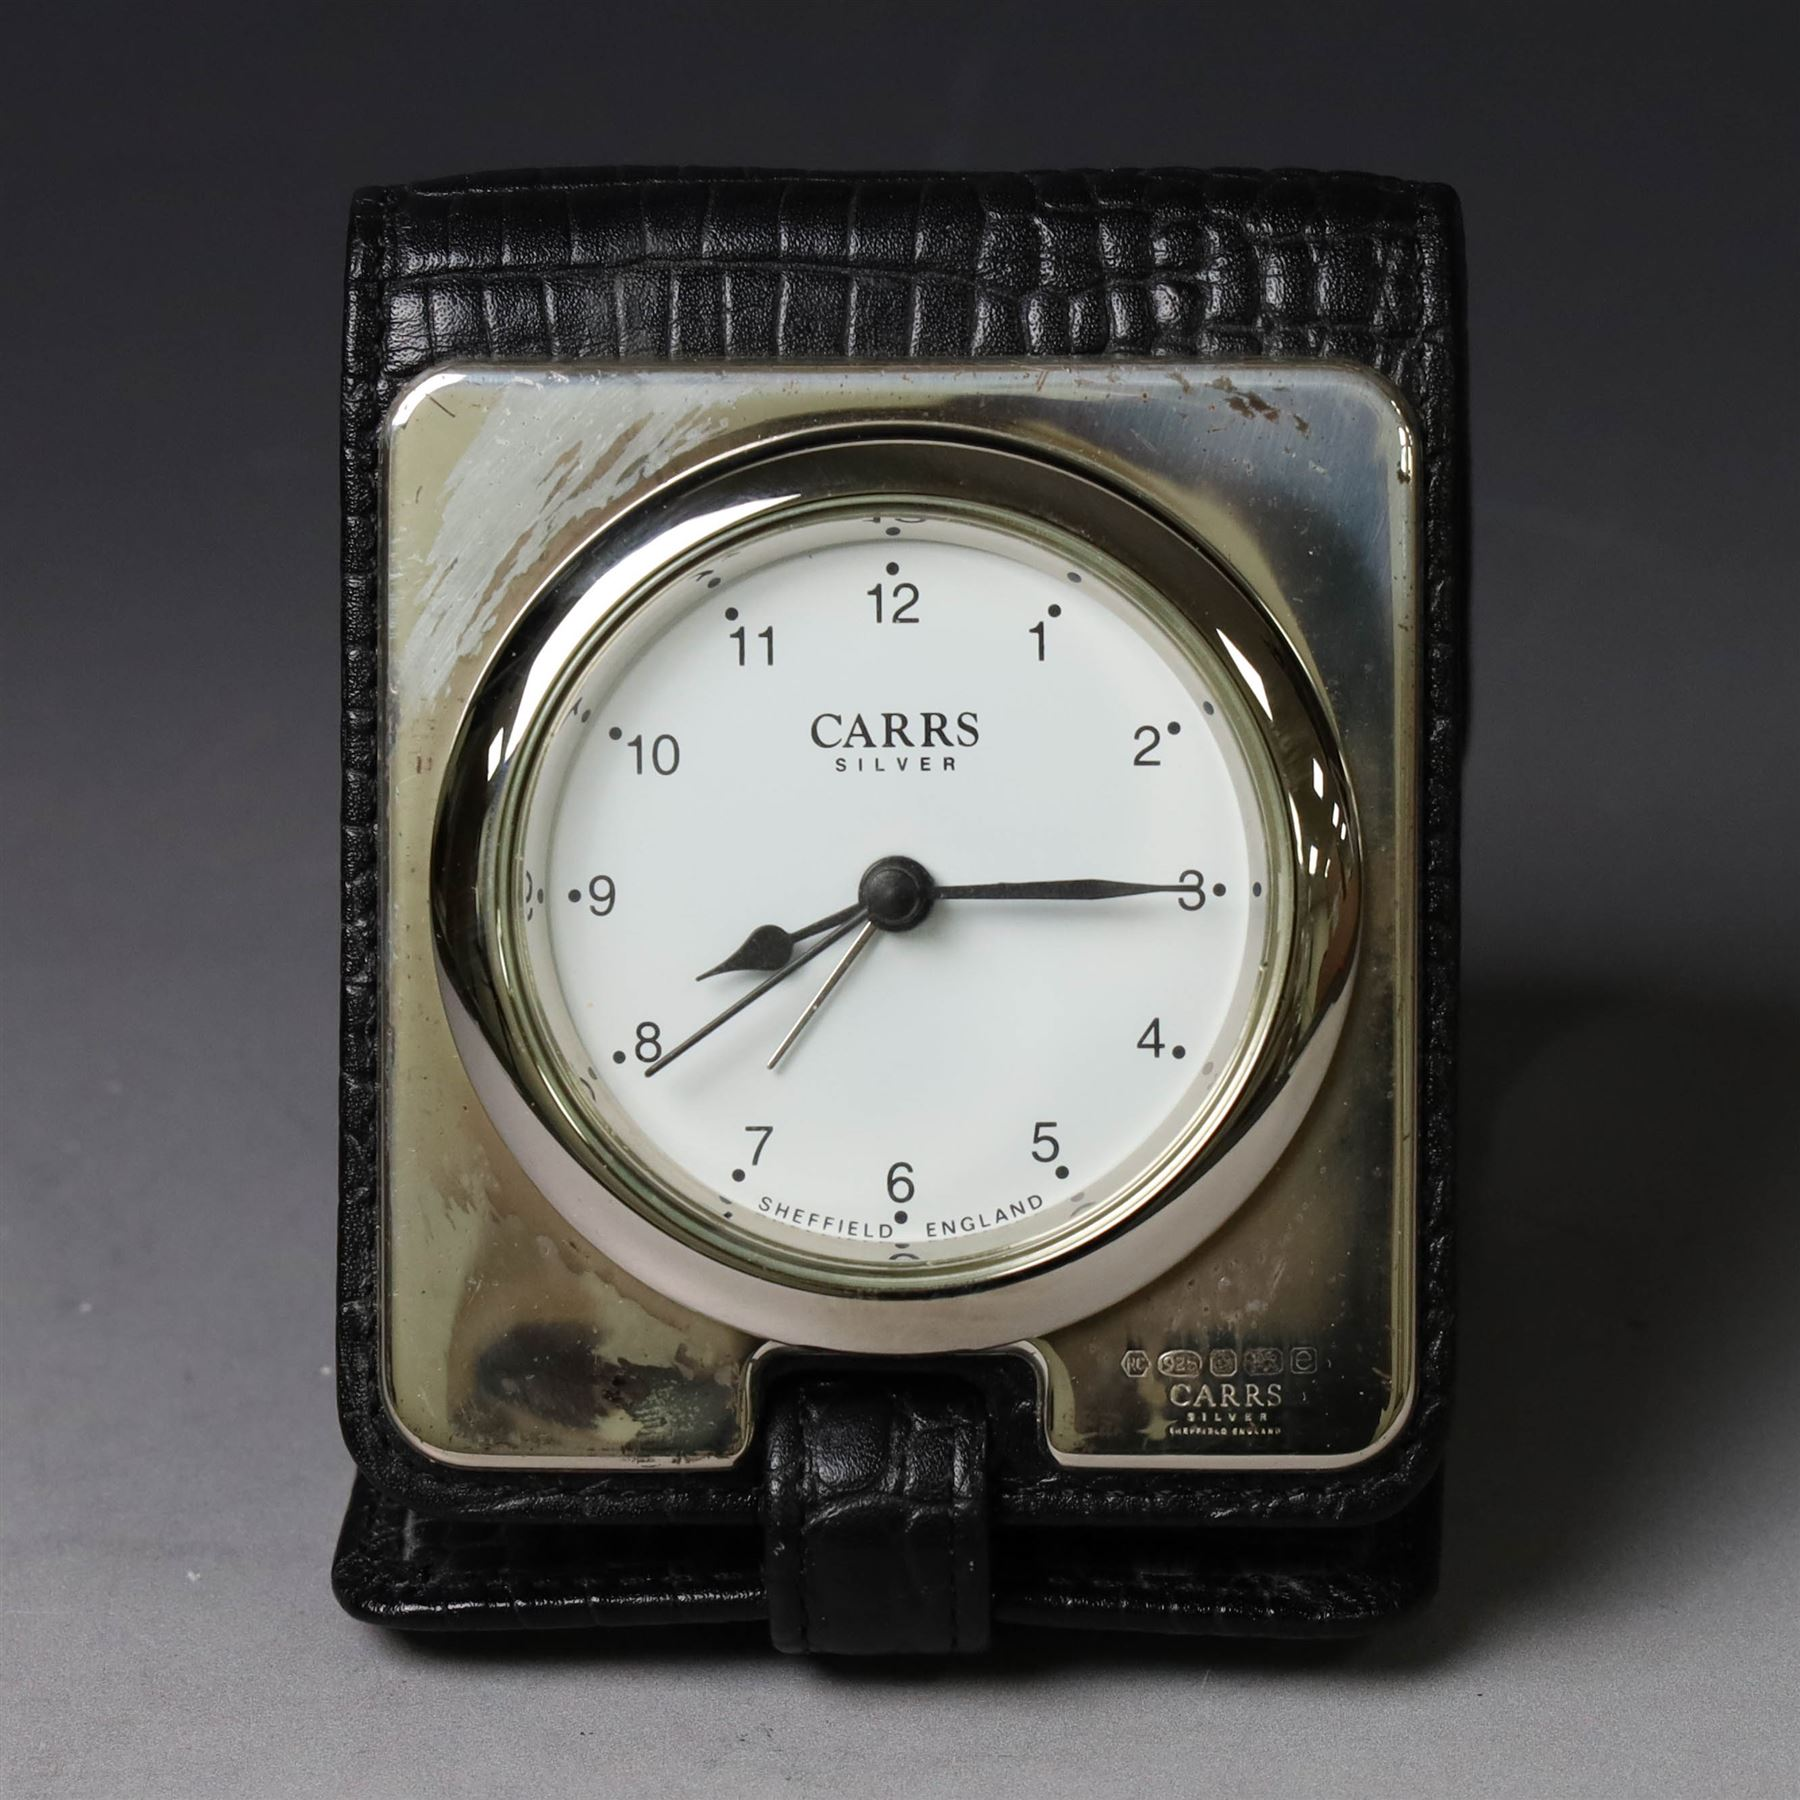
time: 8:14
